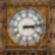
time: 3:13
